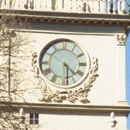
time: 4:28
